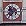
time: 10:36
